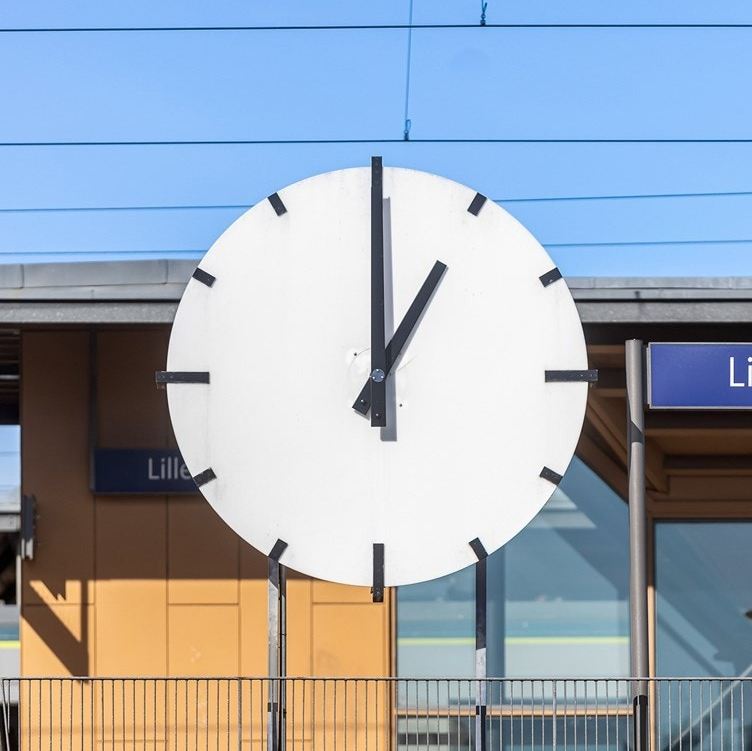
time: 1:00
